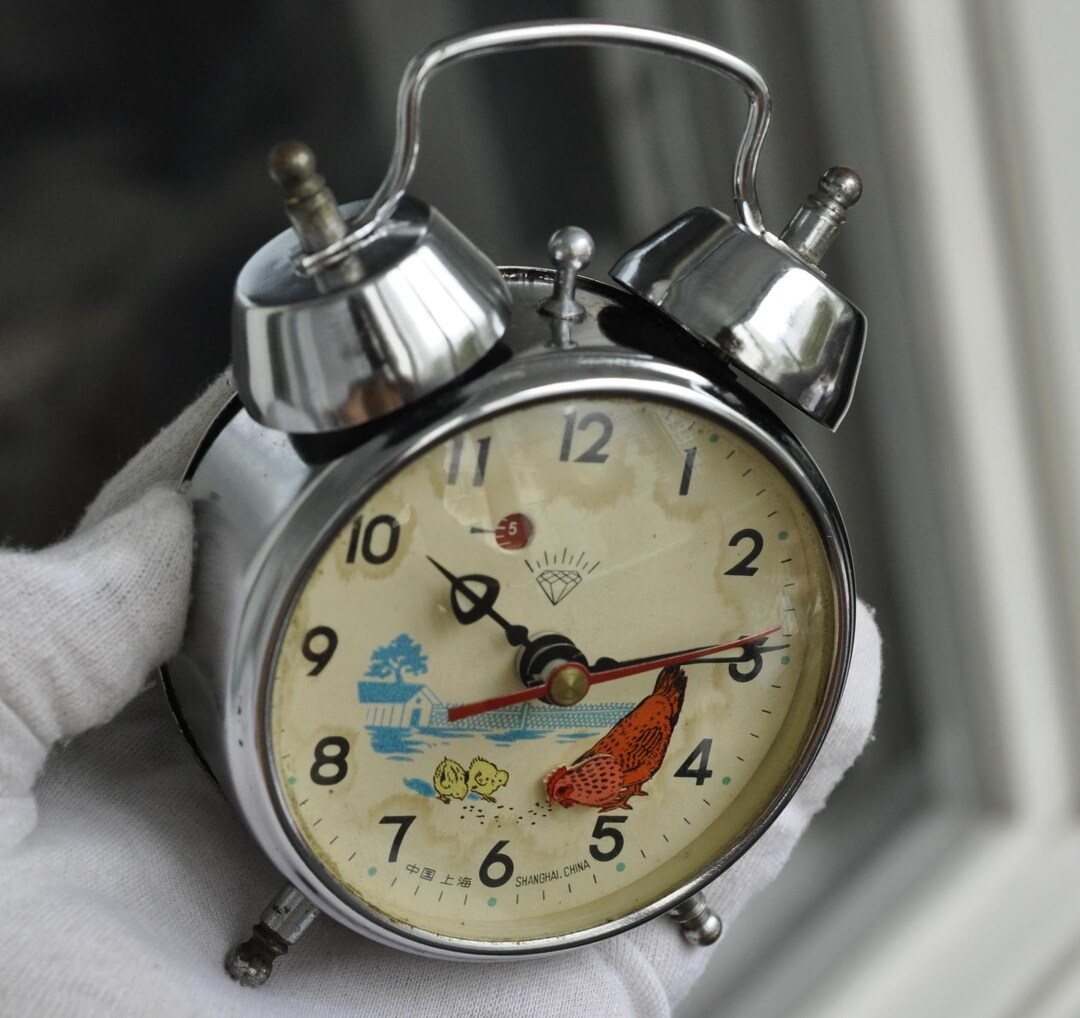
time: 10:14
